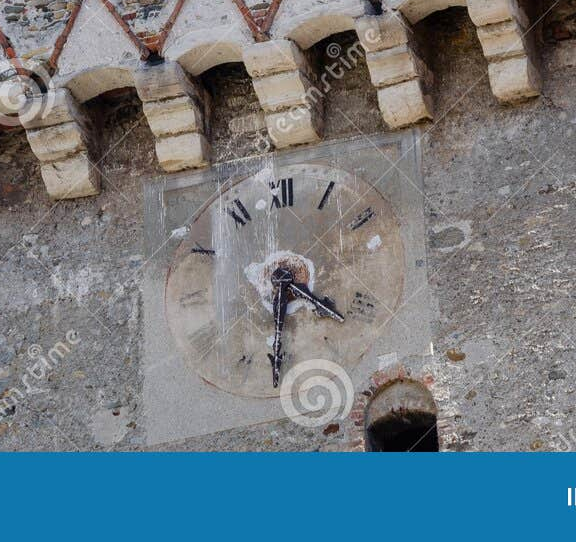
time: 4:31
